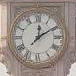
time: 12:09
